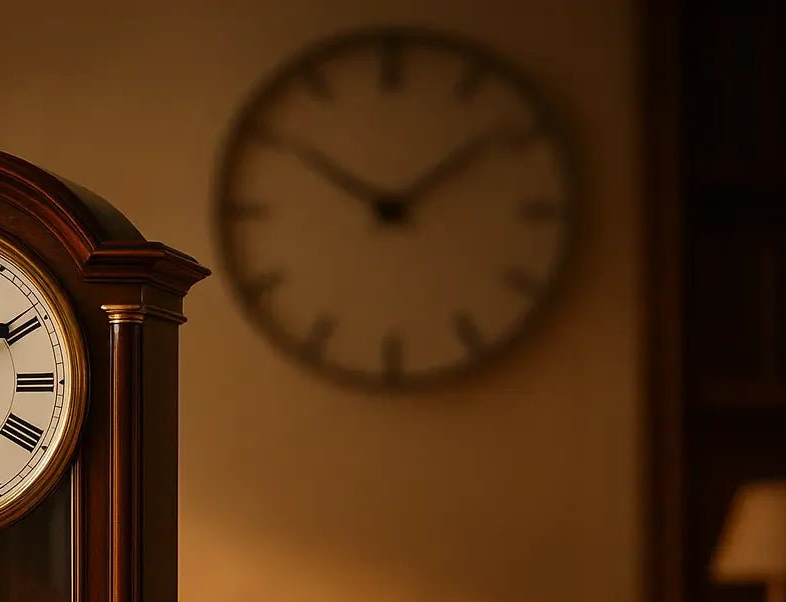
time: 10:08
